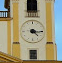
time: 4:14
